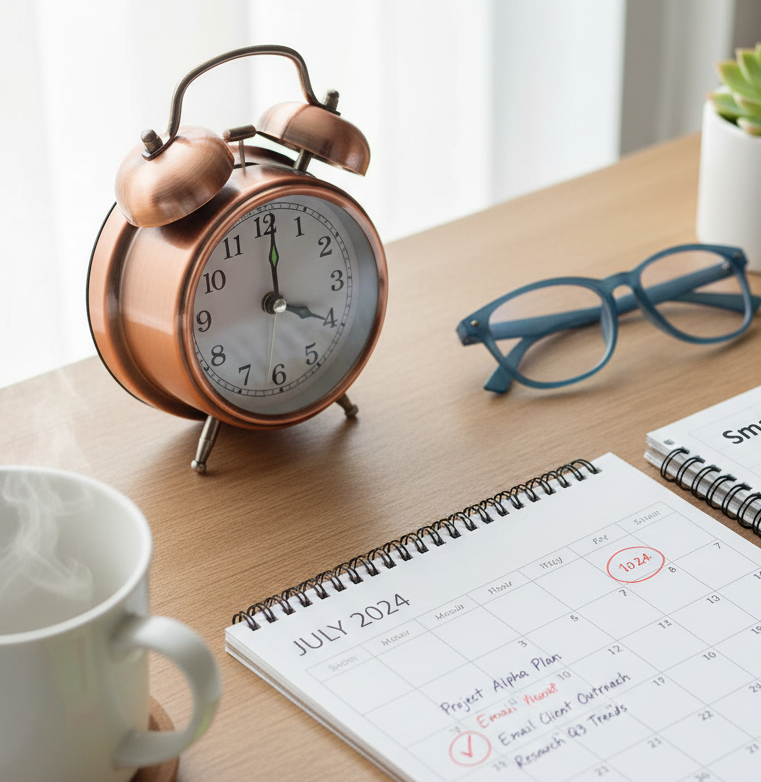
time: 4:01
